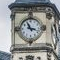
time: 11:17
